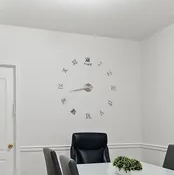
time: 8:42
